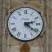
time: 2:21
